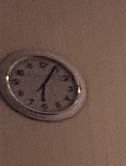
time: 6:04
